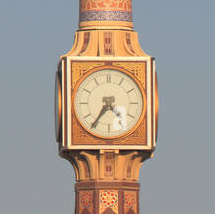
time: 4:35
